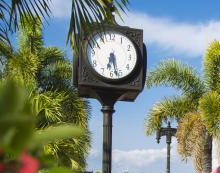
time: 6:27
